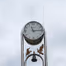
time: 11:14
